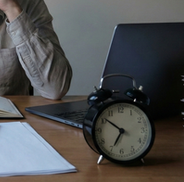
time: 6:51
